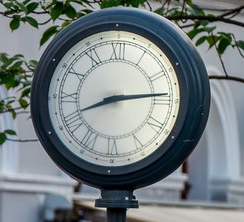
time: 8:14
